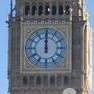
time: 12:00
